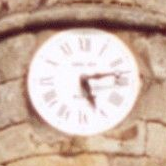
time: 5:13
